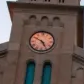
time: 4:50
